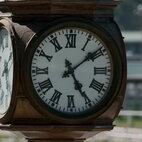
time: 5:08
